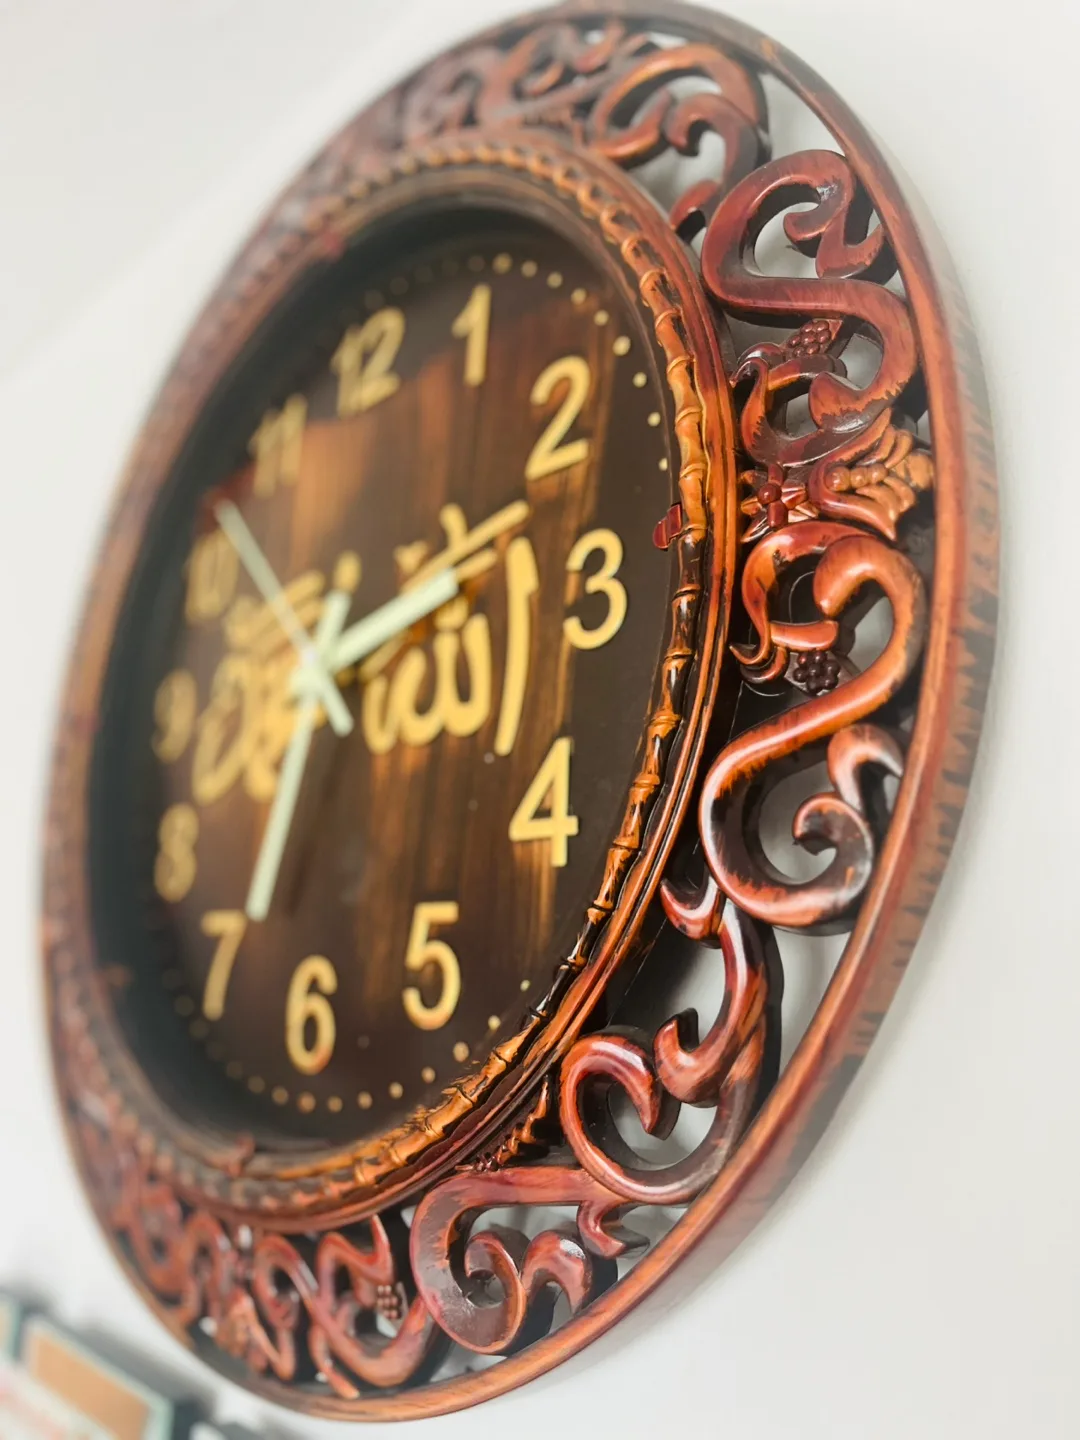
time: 2:33
